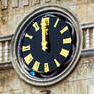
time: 11:58
